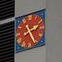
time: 2:25
